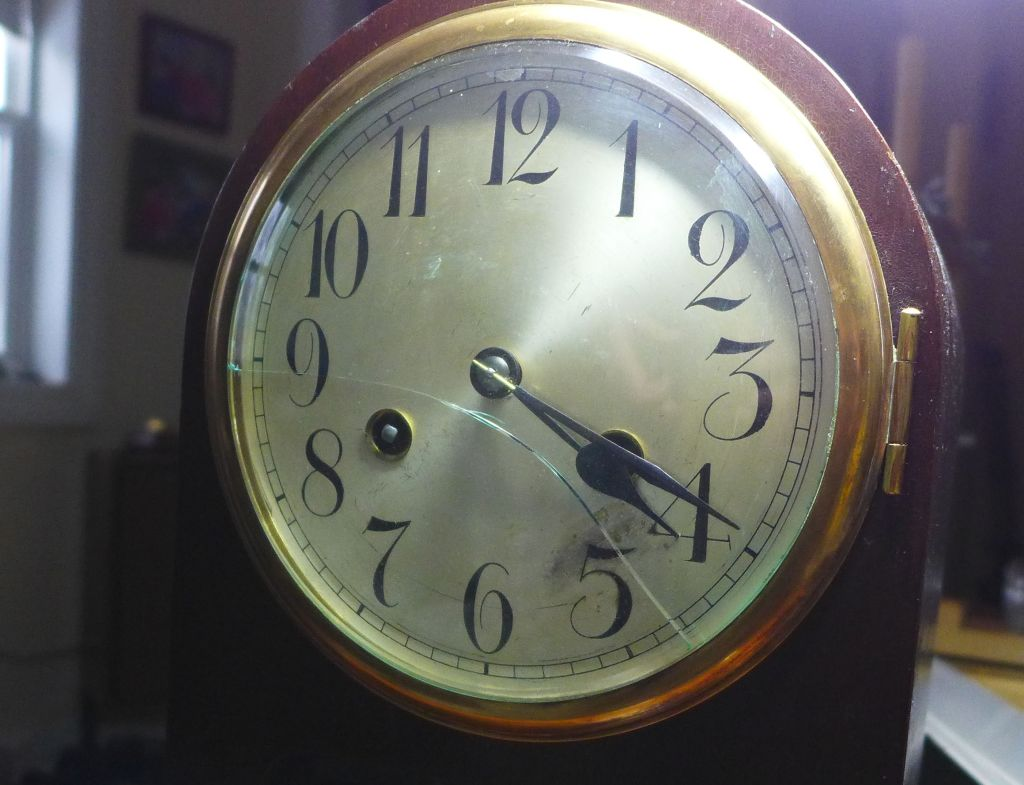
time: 4:19
